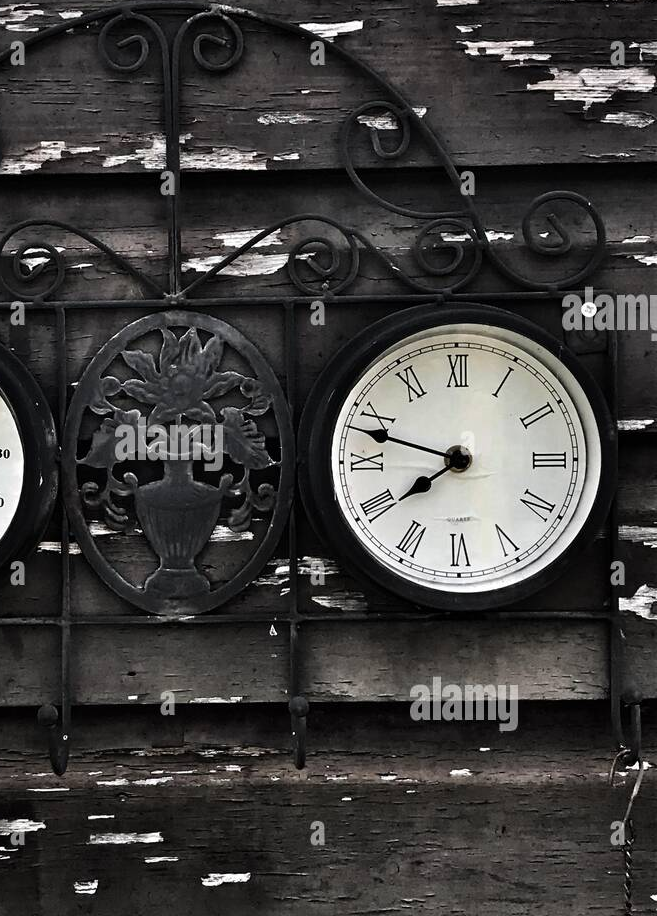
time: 7:48
